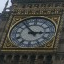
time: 2:53
